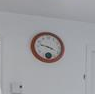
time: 3:47
